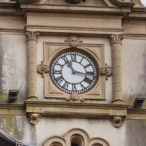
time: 11:16
